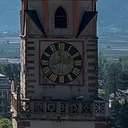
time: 12:10
